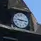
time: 9:14
